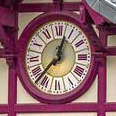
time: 12:37
